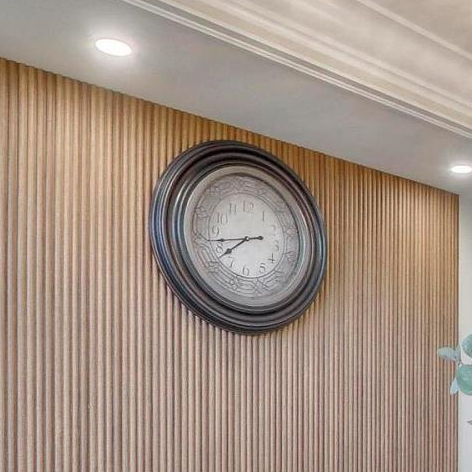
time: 8:39
